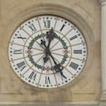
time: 12:24
